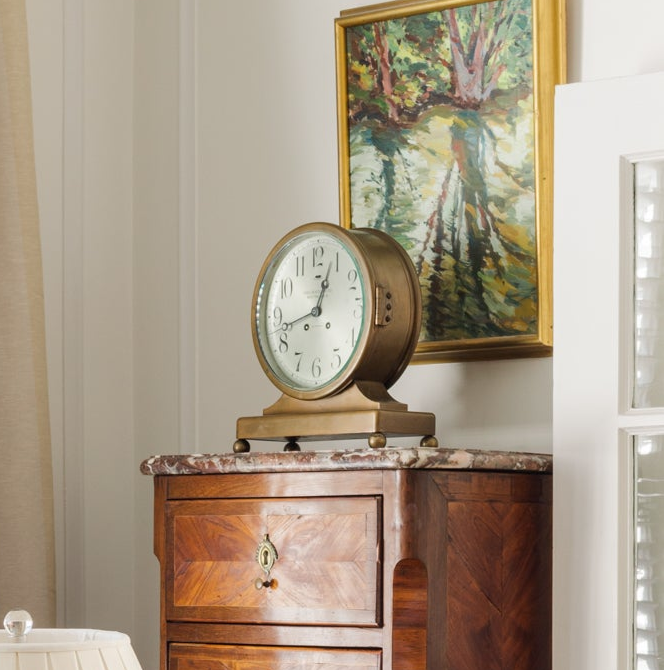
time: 12:42
